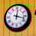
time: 12:17
